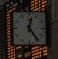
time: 12:23
